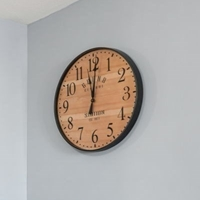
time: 12:01
